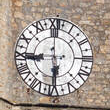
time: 5:59
